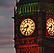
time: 8:33
